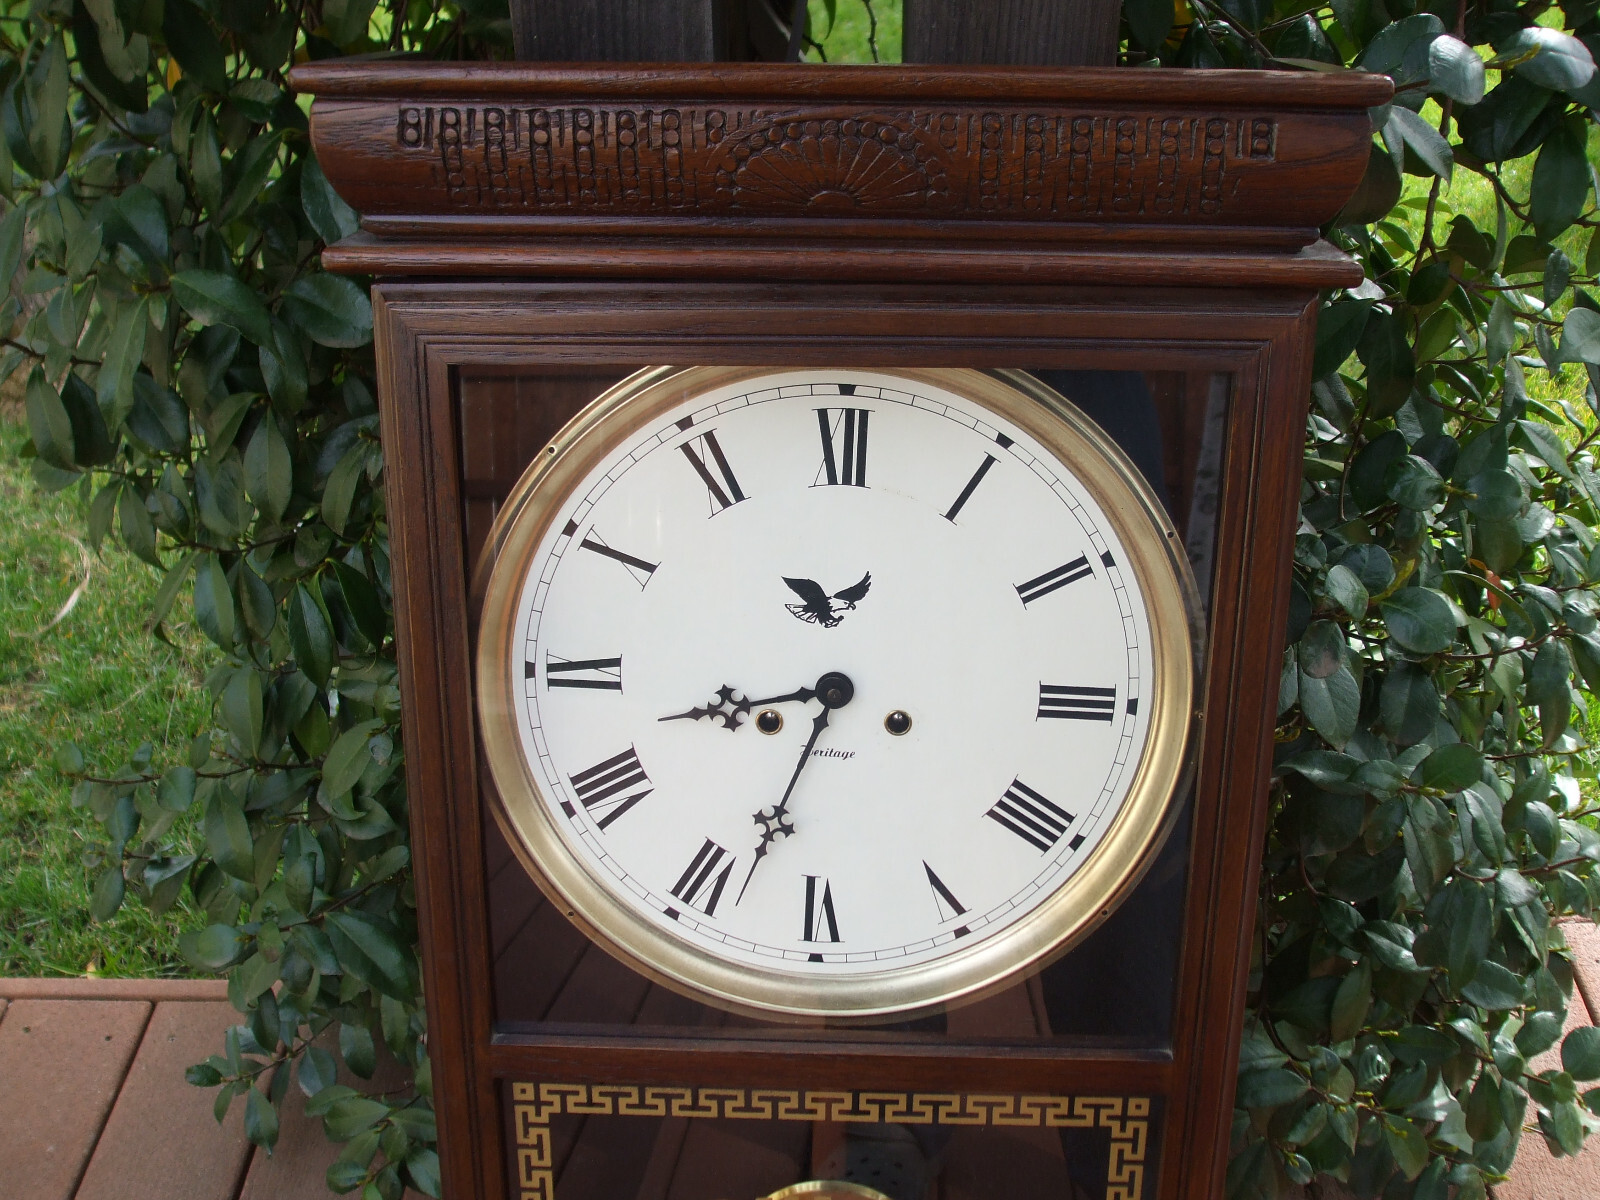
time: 8:33
